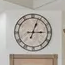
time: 3:03
